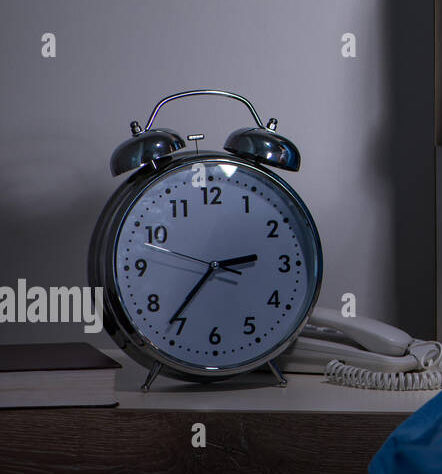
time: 2:36
